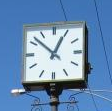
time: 12:52
